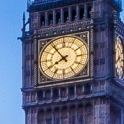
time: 7:53
